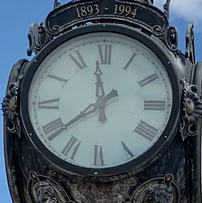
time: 11:38
